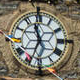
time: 11:34
